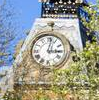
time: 3:02
